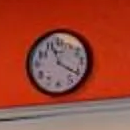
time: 11:20
